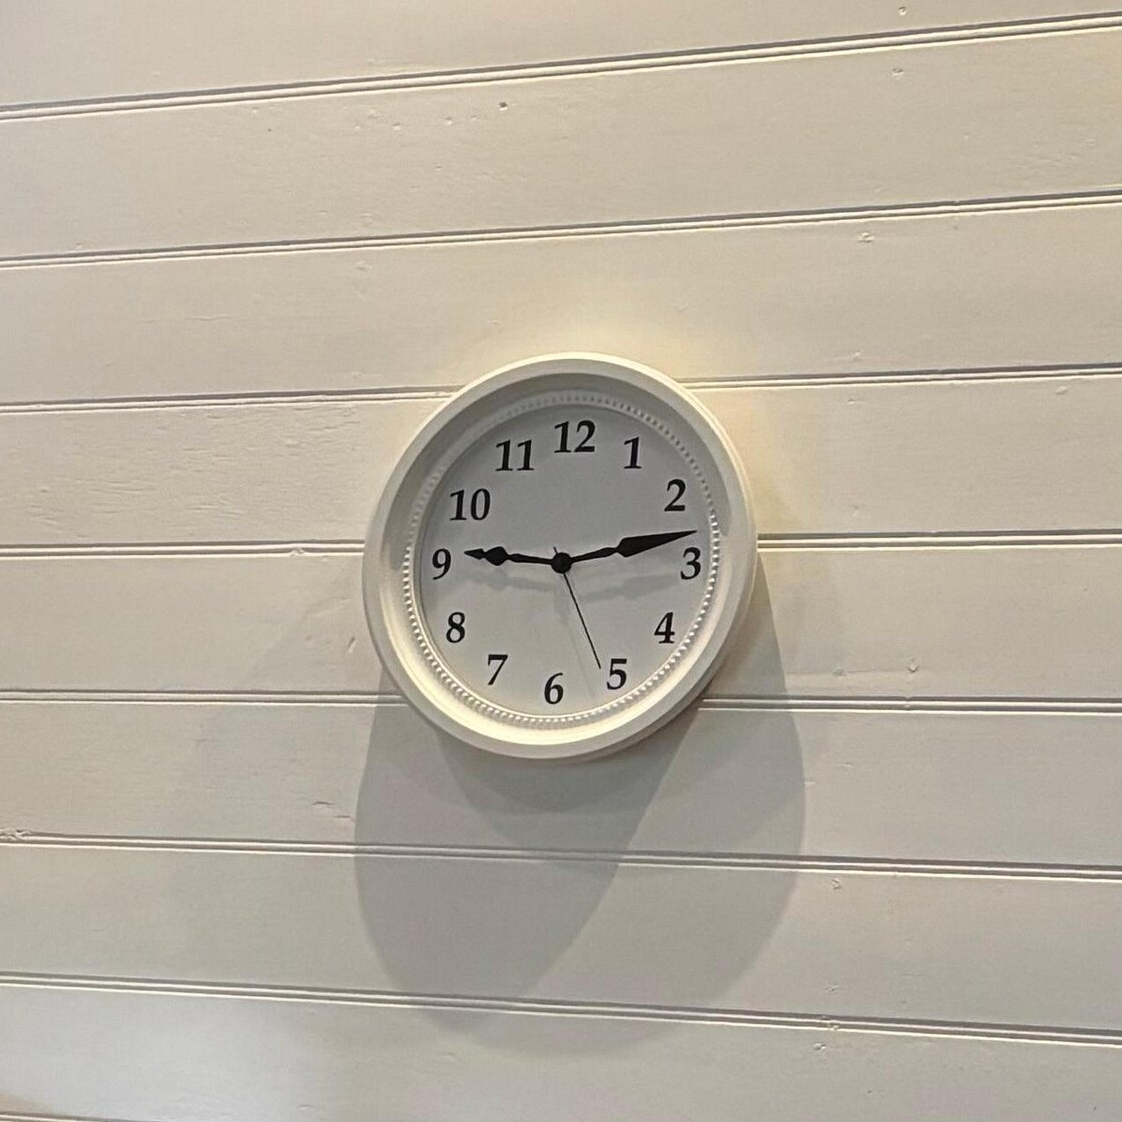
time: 9:13
